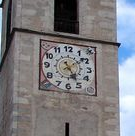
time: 5:08
